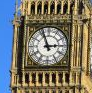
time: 2:56
